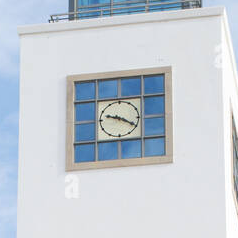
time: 9:20
